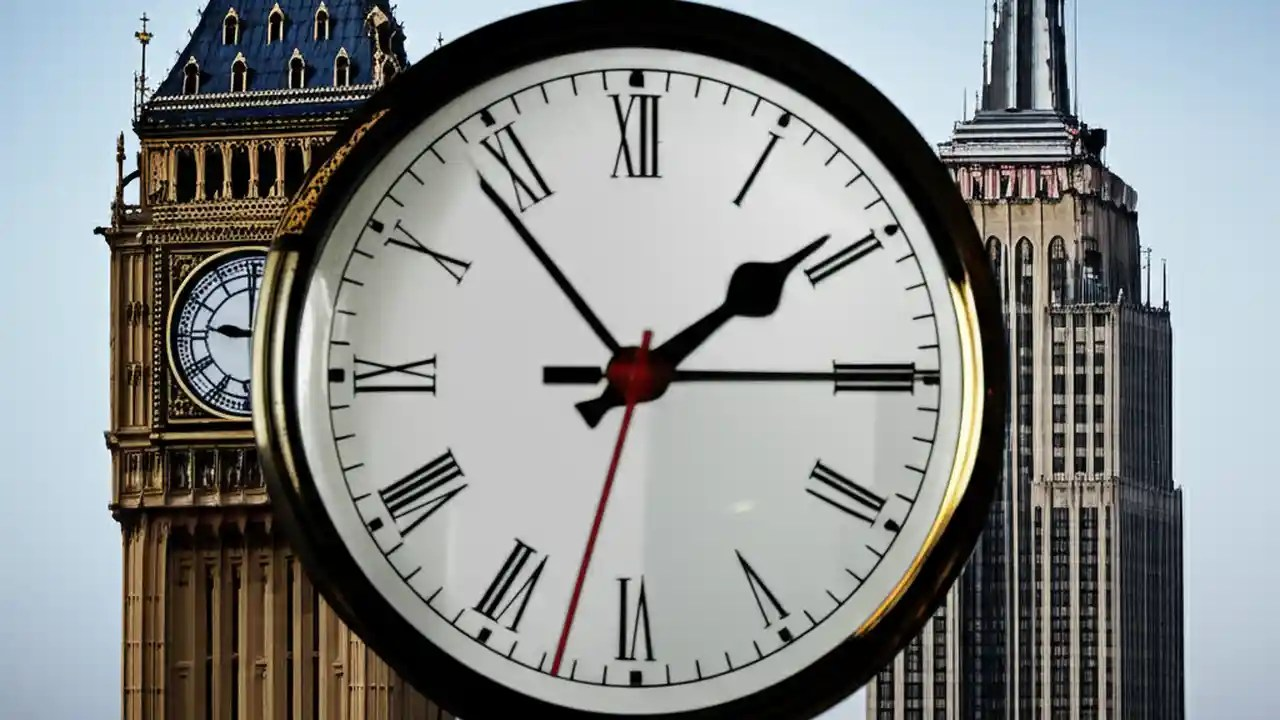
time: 1:53
